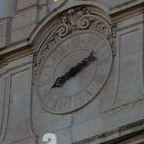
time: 8:11
